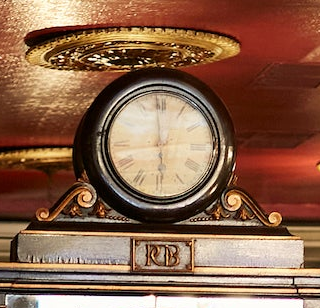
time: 5:59
